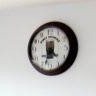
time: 4:32
